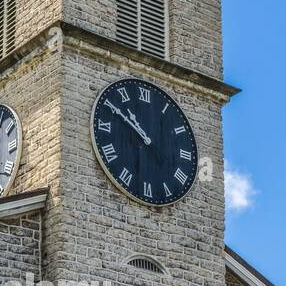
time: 10:50
